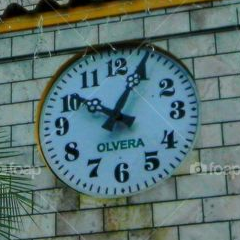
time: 10:04
